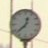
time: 12:37
